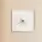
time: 4:40
